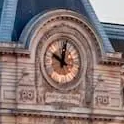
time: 10:00
